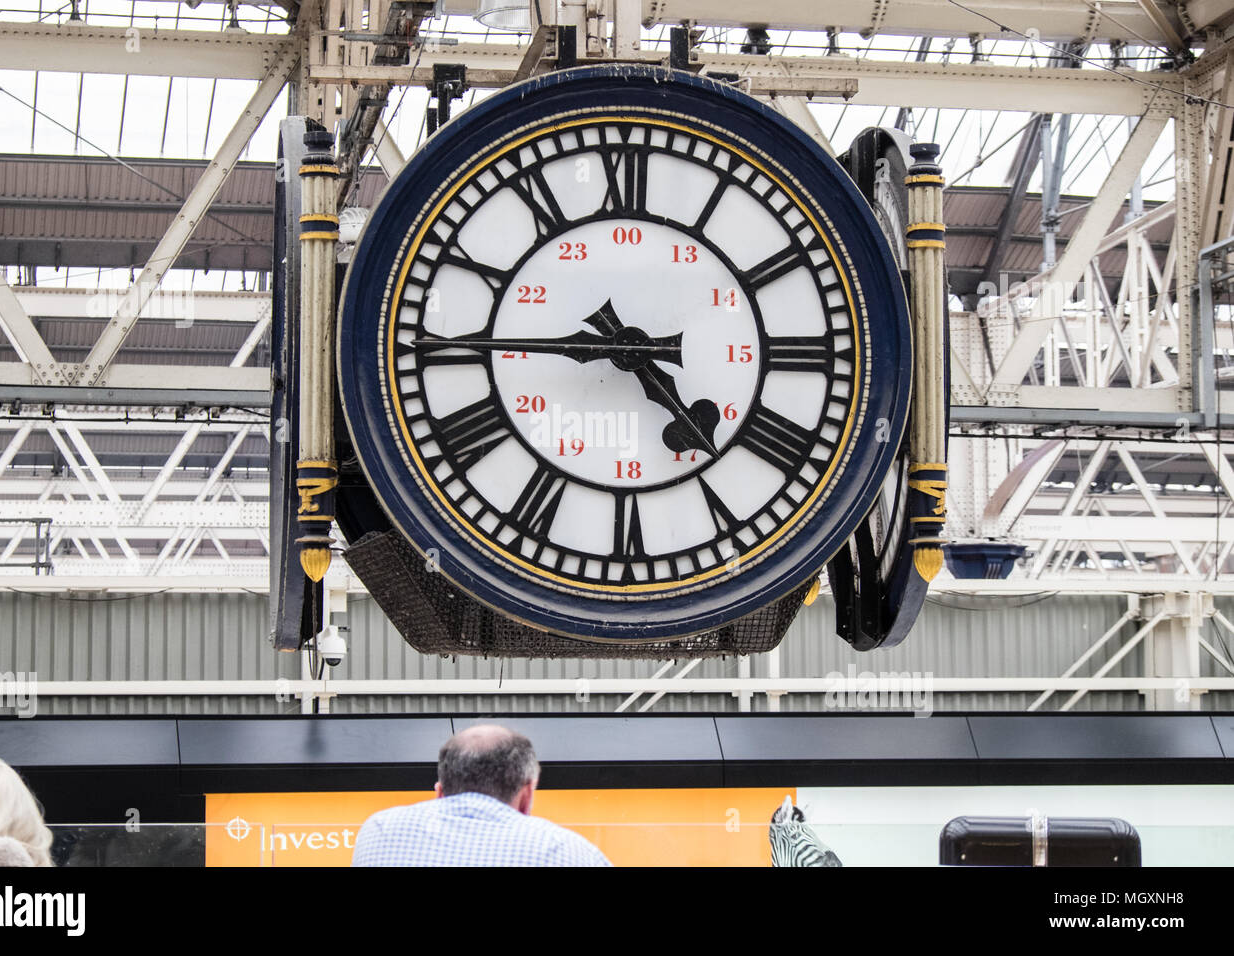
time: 4:44
